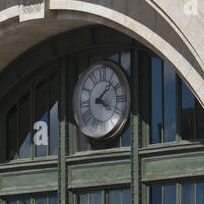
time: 4:07
